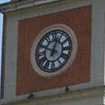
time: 12:49
